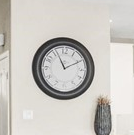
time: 11:10
